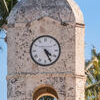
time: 4:25
